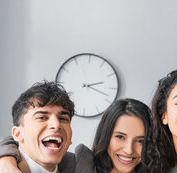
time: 2:18
